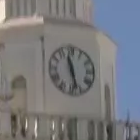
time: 11:28
